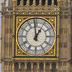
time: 12:59
